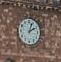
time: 2:03
